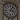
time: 4:04
